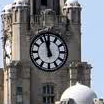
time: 11:57
